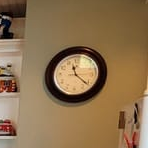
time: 11:21
